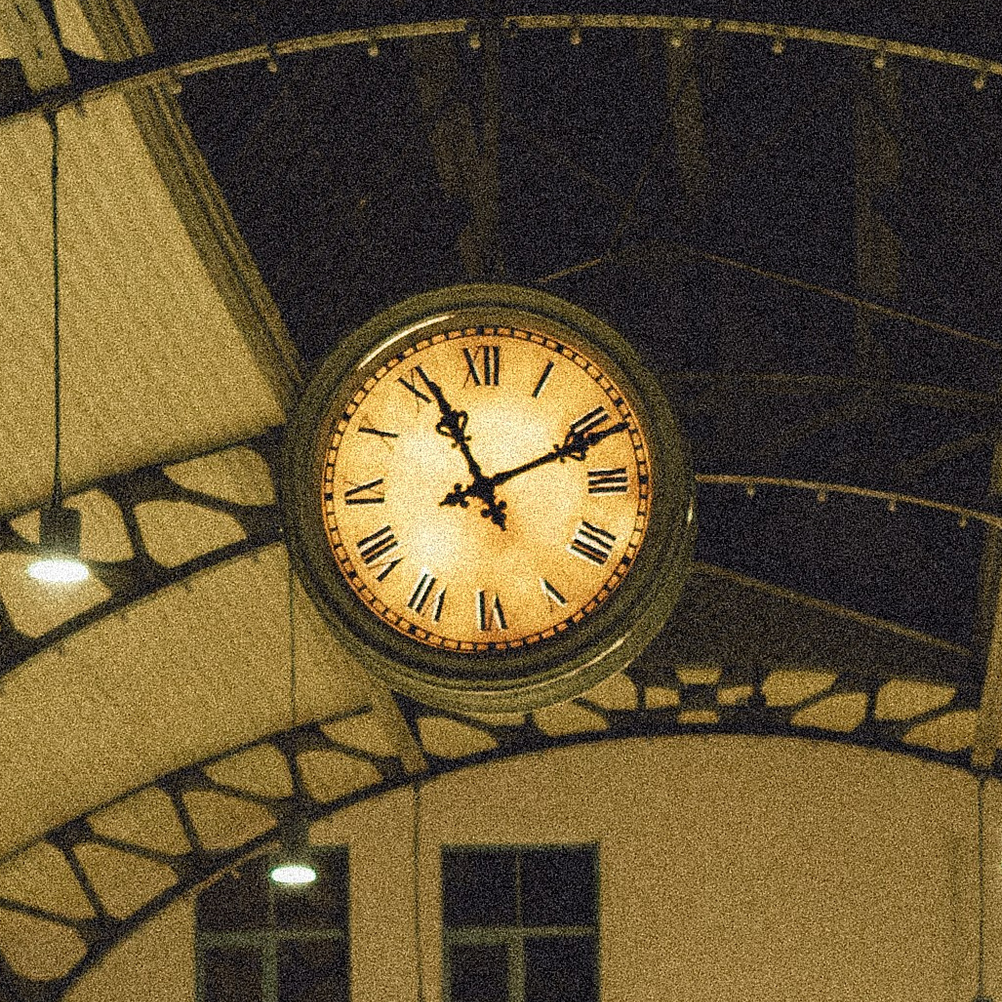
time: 11:11
